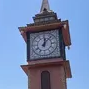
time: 12:07
